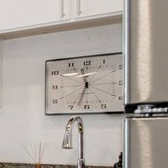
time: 11:32
